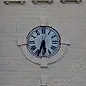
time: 5:33
